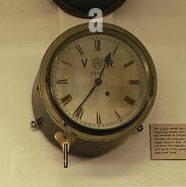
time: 12:36
